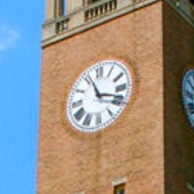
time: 11:17
